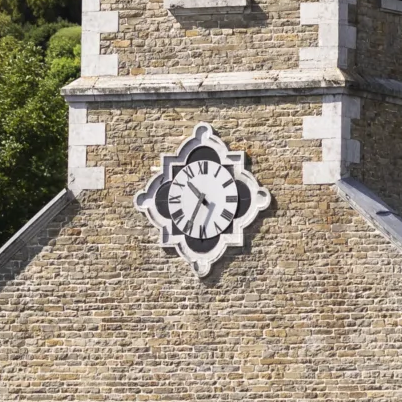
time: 10:34
